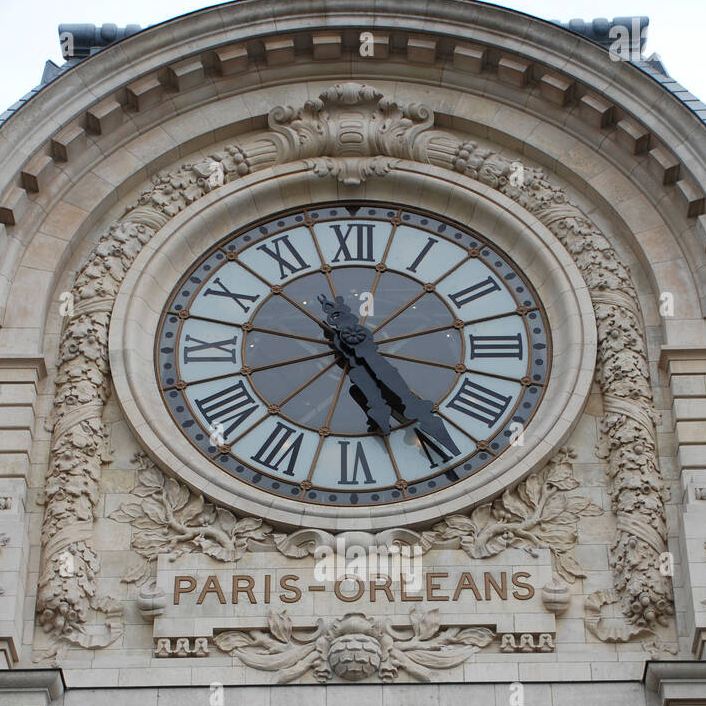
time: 5:24
